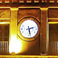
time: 2:27
